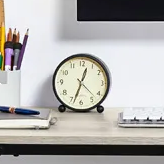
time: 12:33
